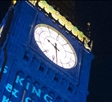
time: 10:33
